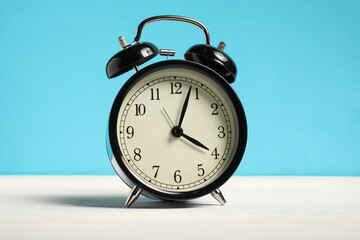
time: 4:03
